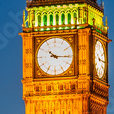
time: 10:15
